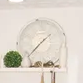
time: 1:36
